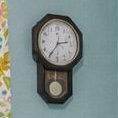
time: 2:35
